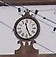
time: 11:25
